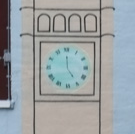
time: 4:59
